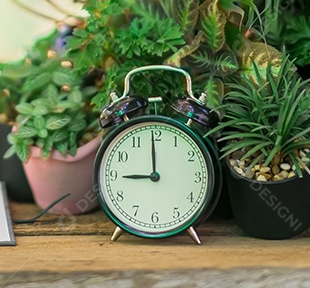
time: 8:59
